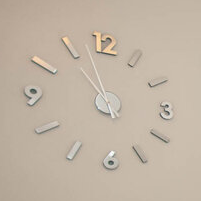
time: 10:57
